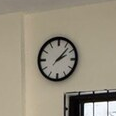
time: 2:07
